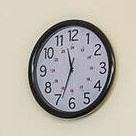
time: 11:33
